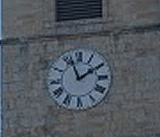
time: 1:56
